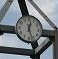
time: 12:26
